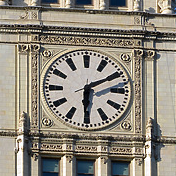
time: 6:10
